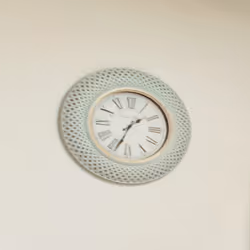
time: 1:33
